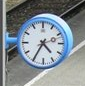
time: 4:35
